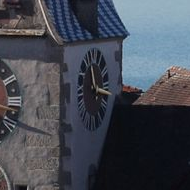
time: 11:16
